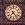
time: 7:23
